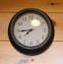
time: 7:44
